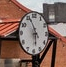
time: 5:55
